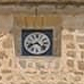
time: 8:22
